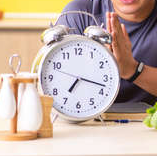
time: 7:17
